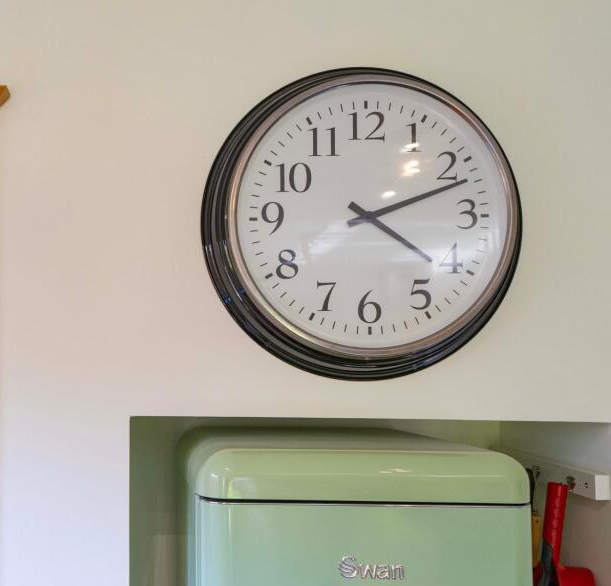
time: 4:11
